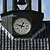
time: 12:47
